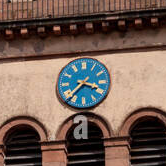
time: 3:37
